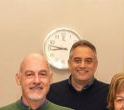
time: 8:47
